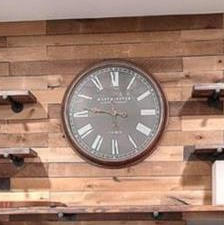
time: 5:46
